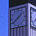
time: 1:39
